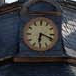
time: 6:18
